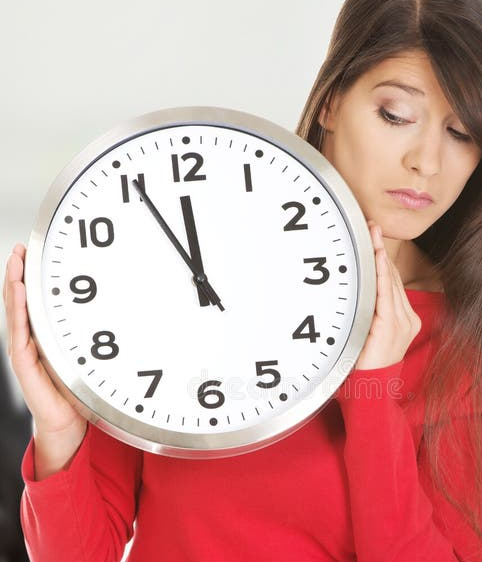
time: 11:55
